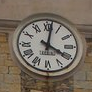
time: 4:01
